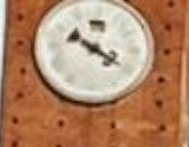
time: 10:20
